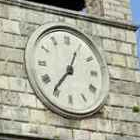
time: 12:36
